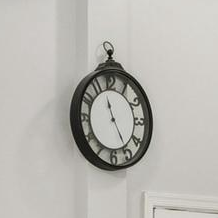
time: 11:25
